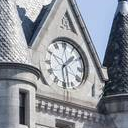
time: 1:28
